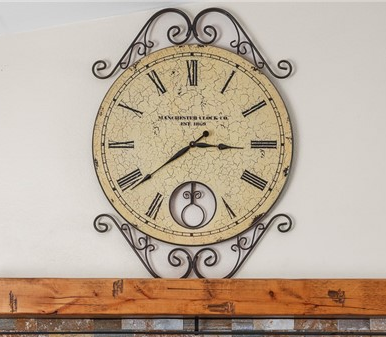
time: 2:38
